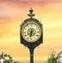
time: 6:32
